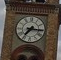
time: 7:16
